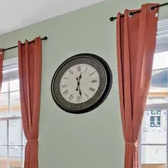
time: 12:28
